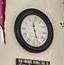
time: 11:26
